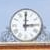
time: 3:00
